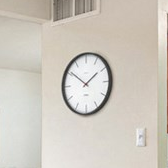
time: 1:50
